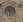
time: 10:26
